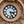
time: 3:26
